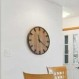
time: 11:20
